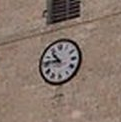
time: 10:45
